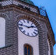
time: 1:46
